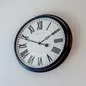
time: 1:48
